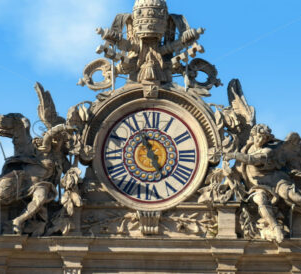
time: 11:25
